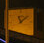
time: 11:08
